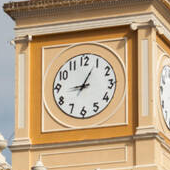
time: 9:04
